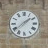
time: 1:38
